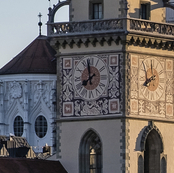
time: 7:59
